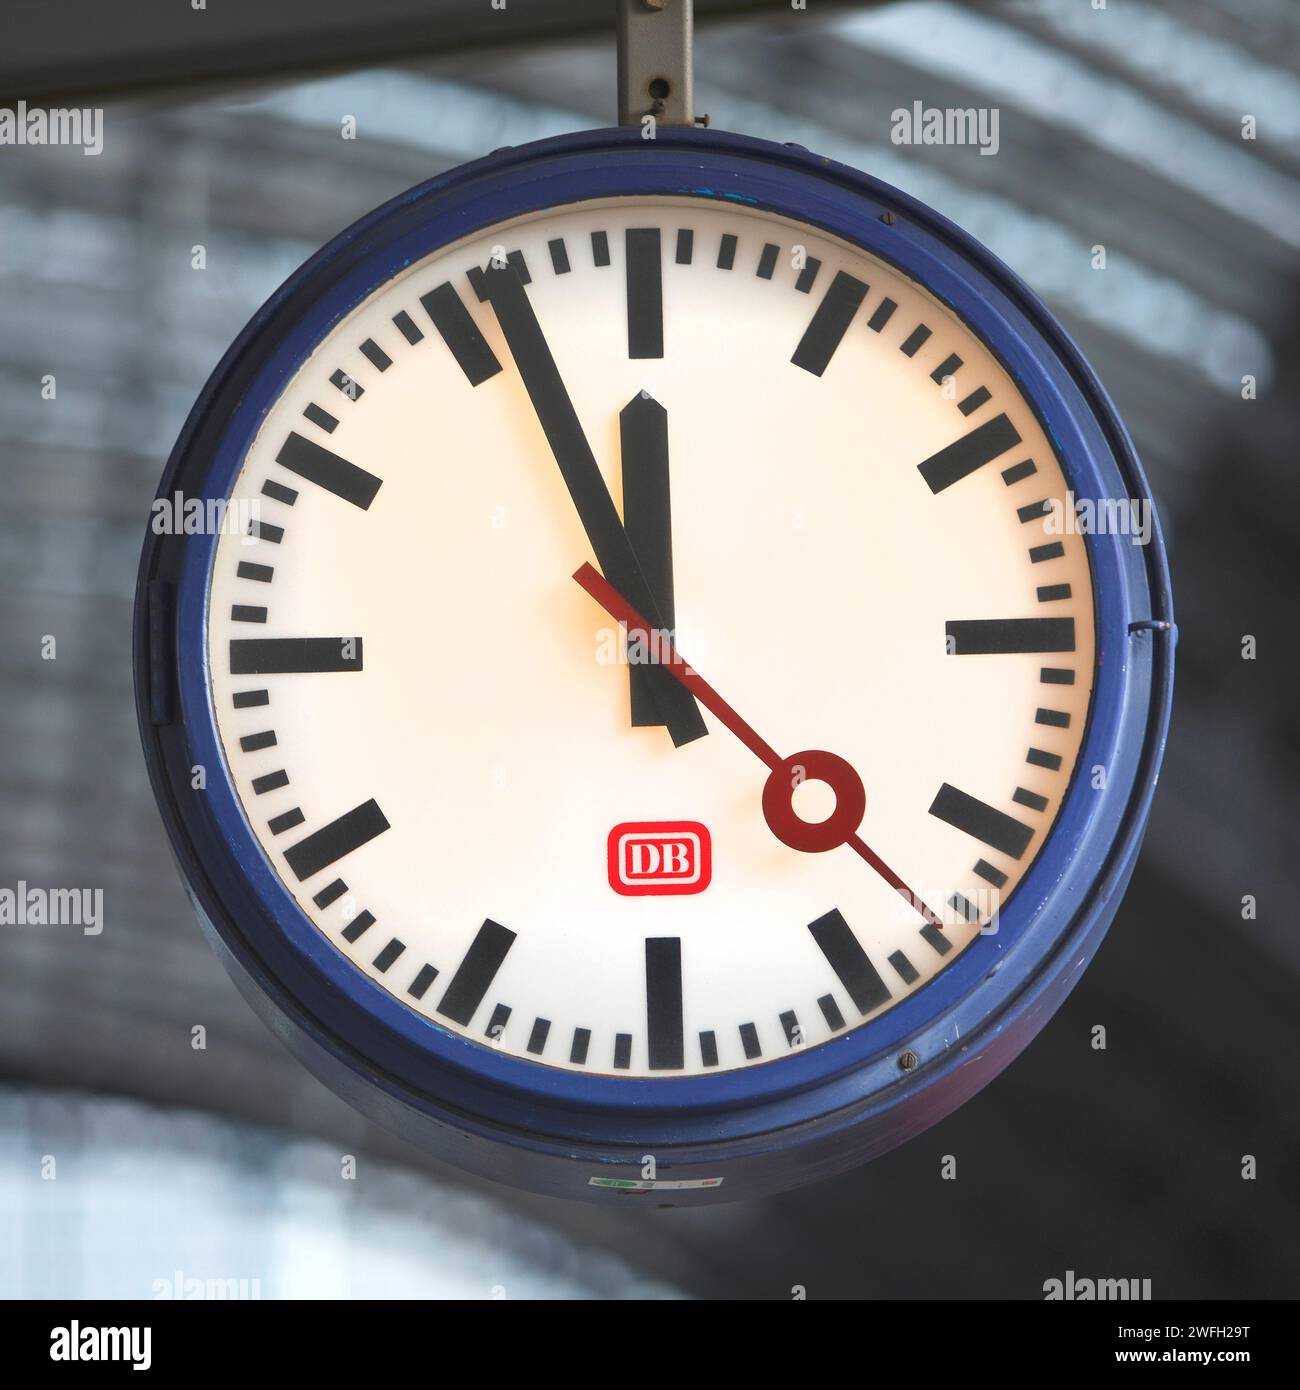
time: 11:56
